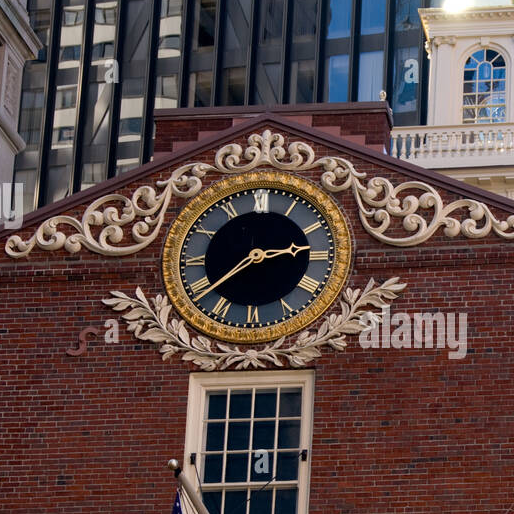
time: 2:38
